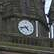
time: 4:42
